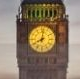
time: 8:01
